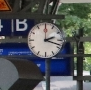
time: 2:18
